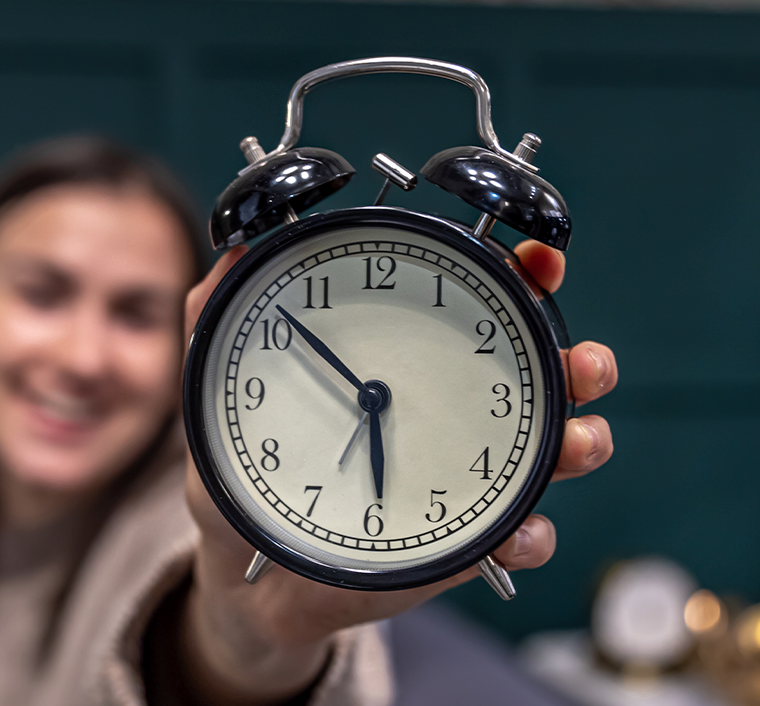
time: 5:52
